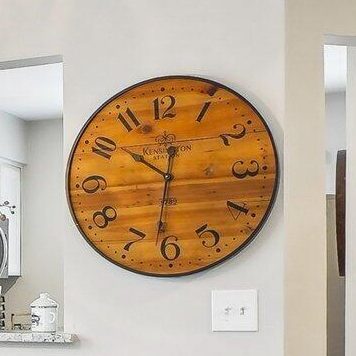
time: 10:31
